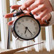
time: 6:23
